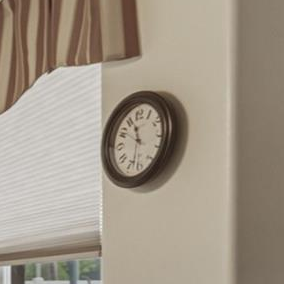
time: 11:32
